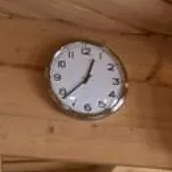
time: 12:38
